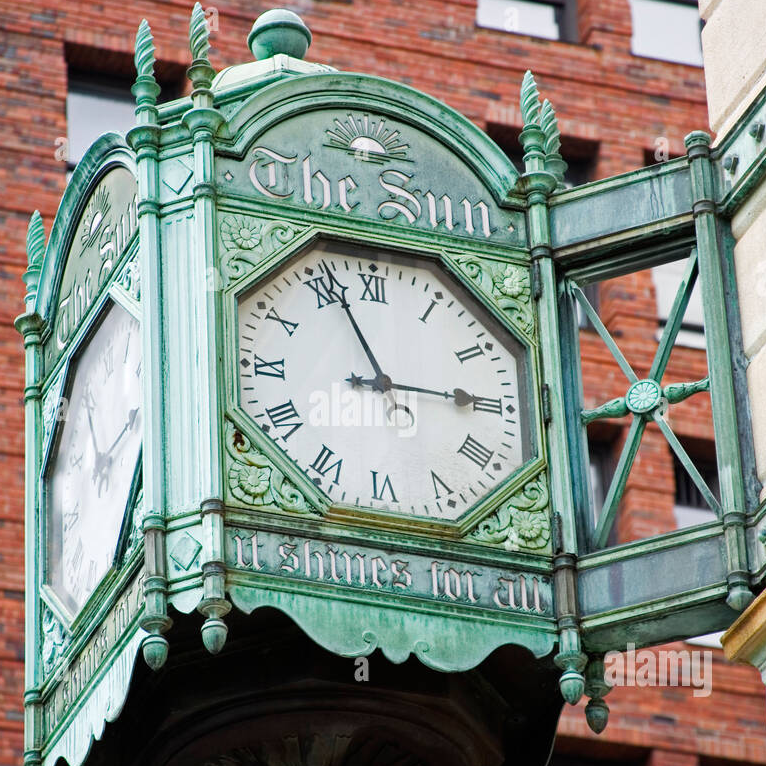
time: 2:56
